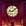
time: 9:08
